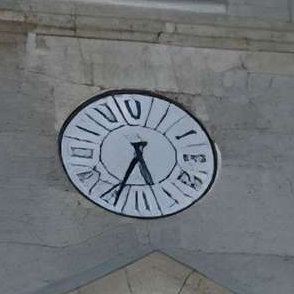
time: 5:34
